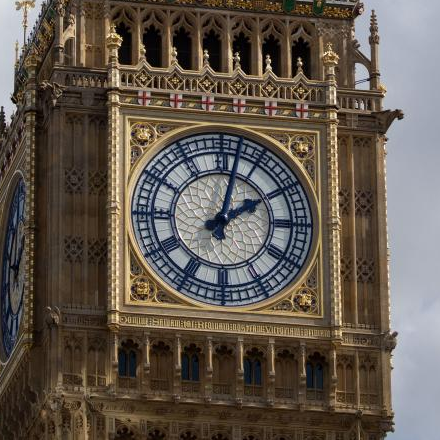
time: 2:02
